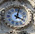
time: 4:02
